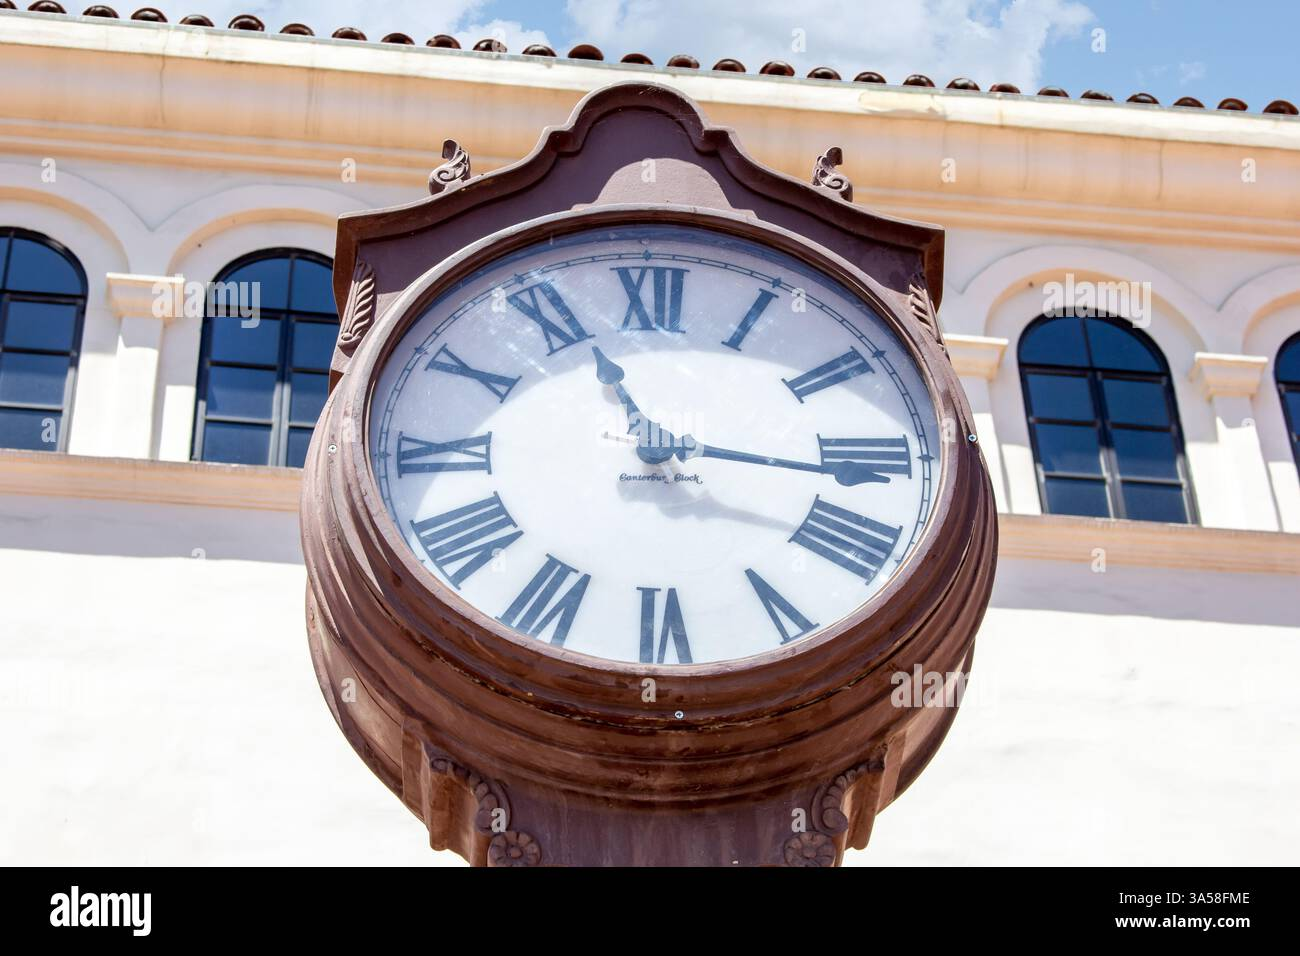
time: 11:16
